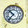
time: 10:36
